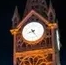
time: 8:24
